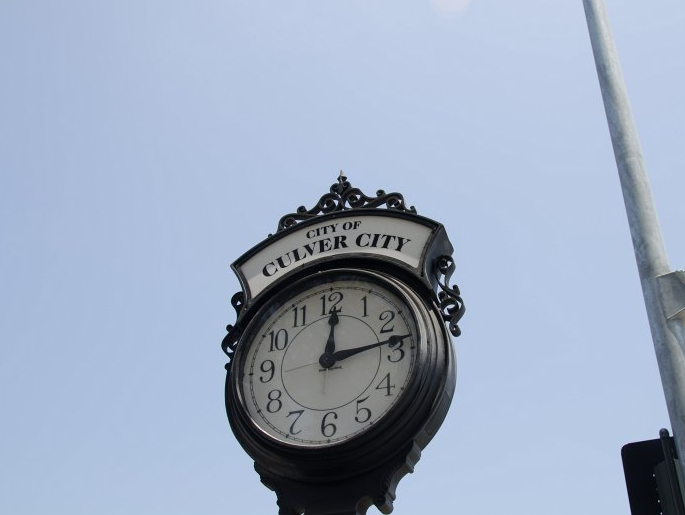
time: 12:13
